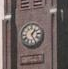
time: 1:25
